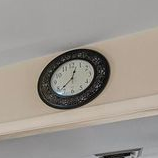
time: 12:37
